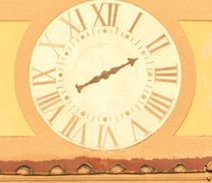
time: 2:10
